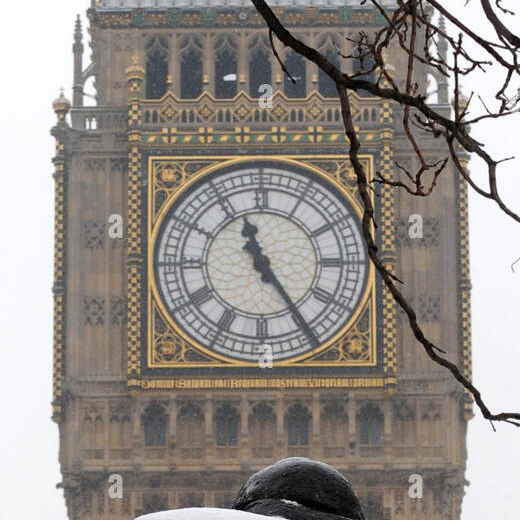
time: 11:24
